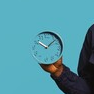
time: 10:07
